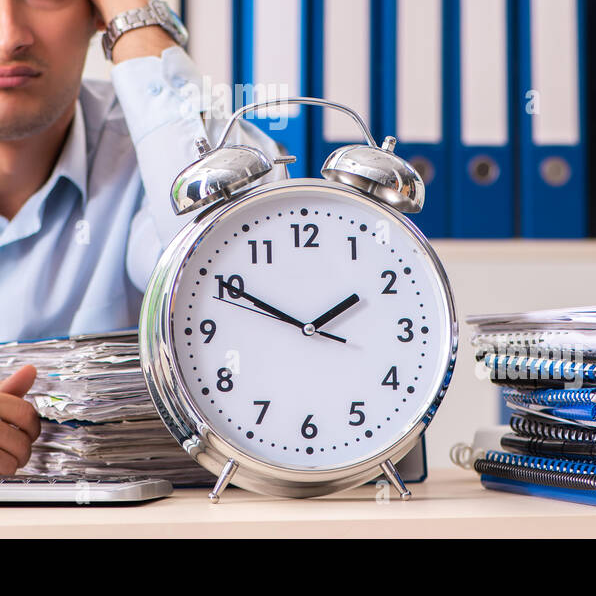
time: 1:50
